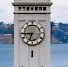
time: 6:44
